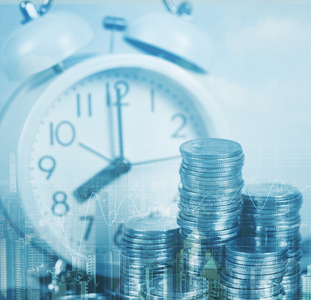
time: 8:00
